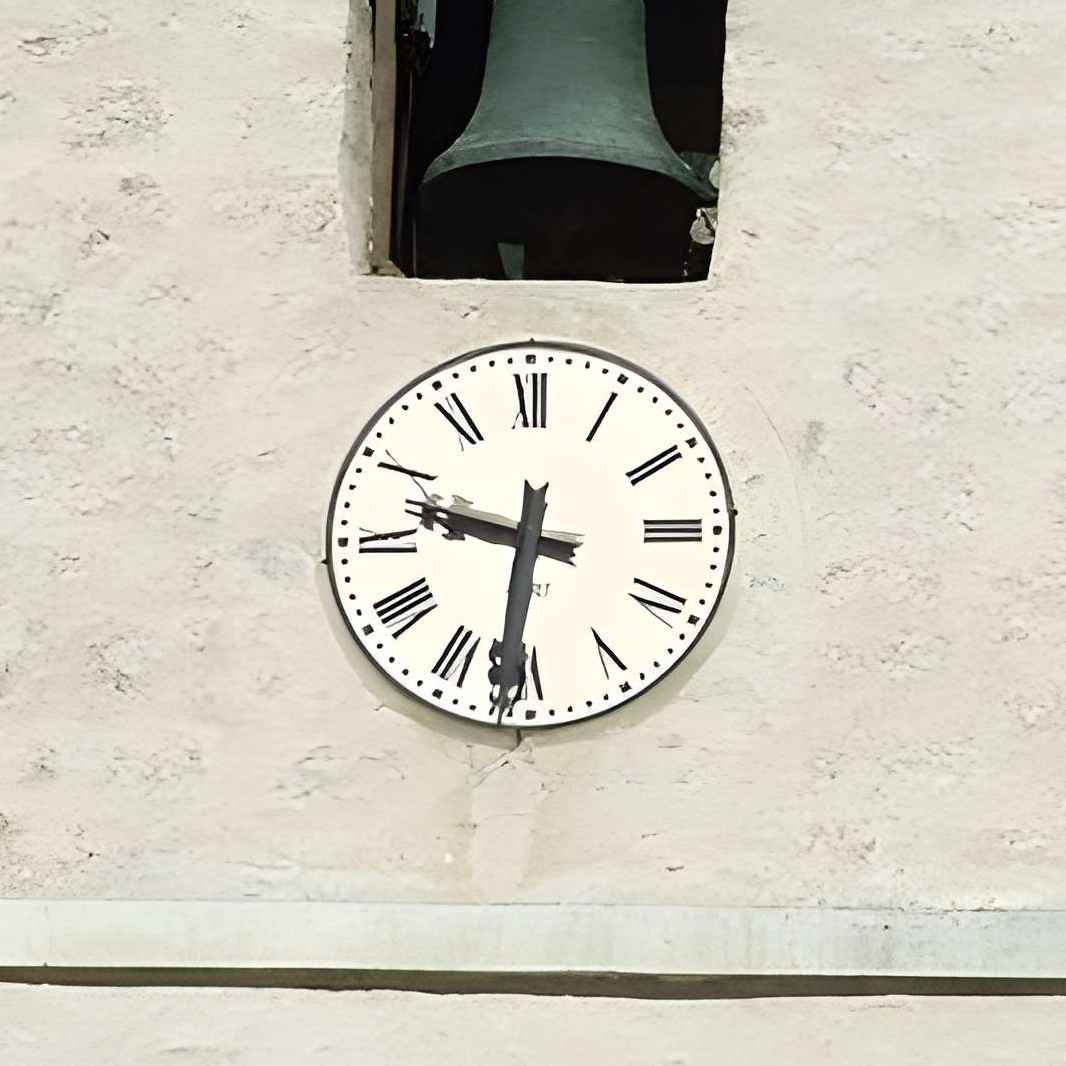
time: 9:31
